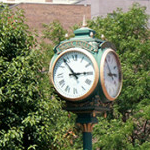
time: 2:53
